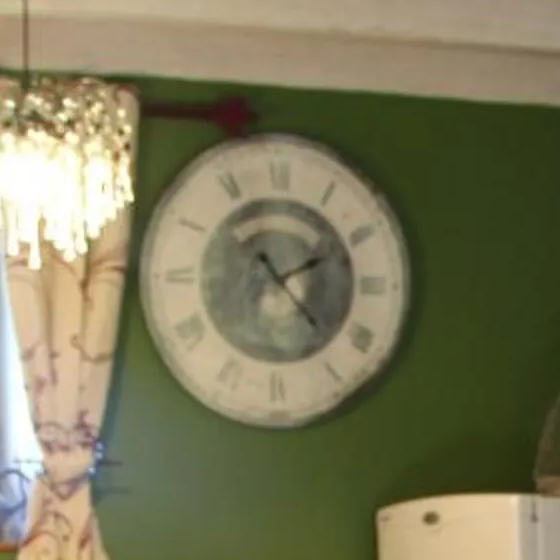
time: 1:53
